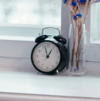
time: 12:57
